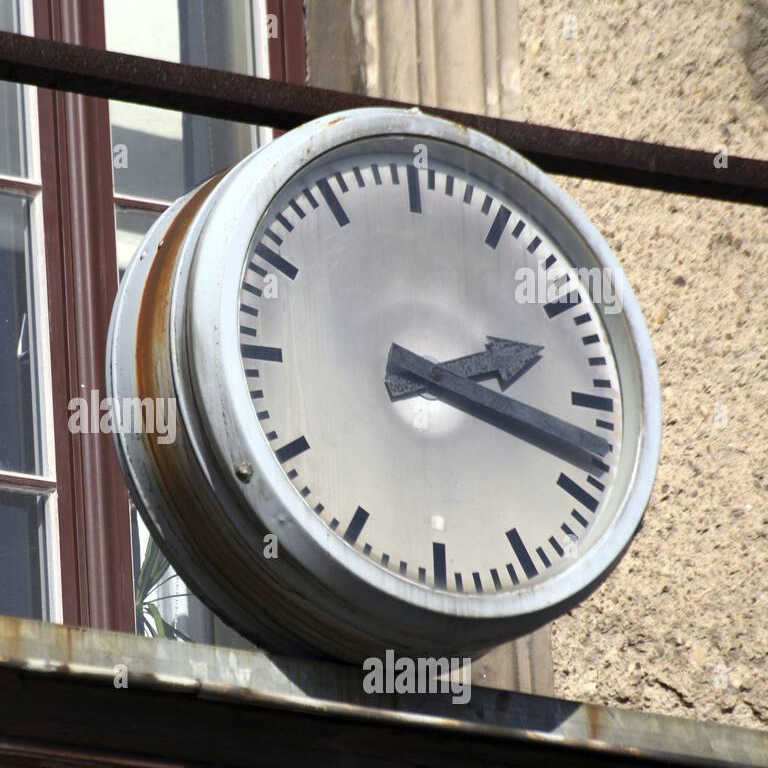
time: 2:18
